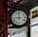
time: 8:59
